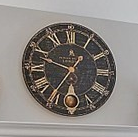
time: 9:35
